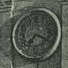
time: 7:18
